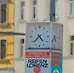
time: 4:37
